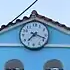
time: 7:18
